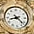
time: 8:22
